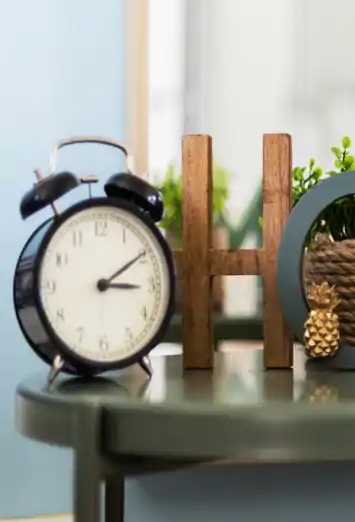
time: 3:09
